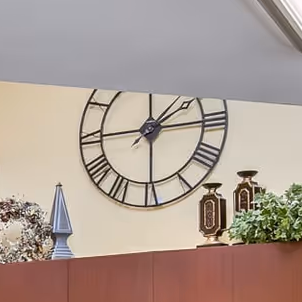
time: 1:14
